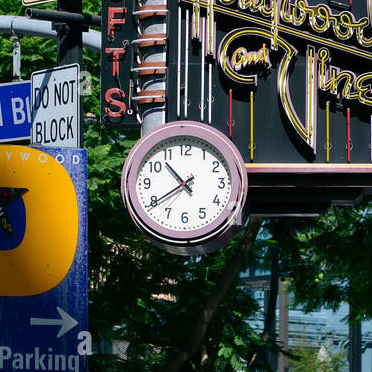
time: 10:39
